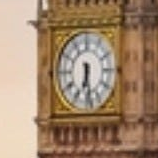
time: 6:28
